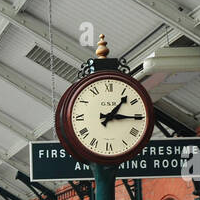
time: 1:15
